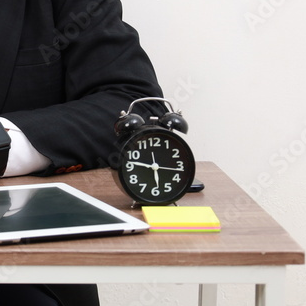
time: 5:46
